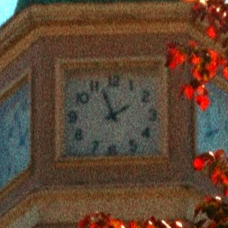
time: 1:56
